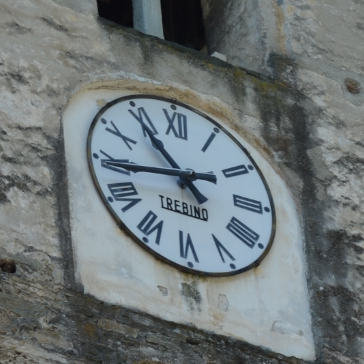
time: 10:43
